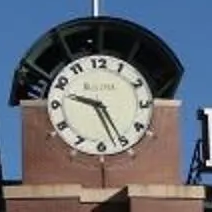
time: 9:25
